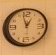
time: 12:57
